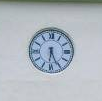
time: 6:25
